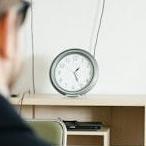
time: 1:26
